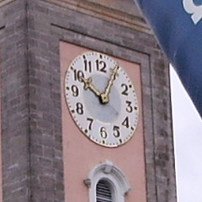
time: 10:04
